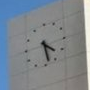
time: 4:28
